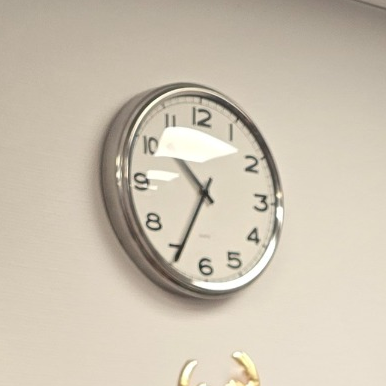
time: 10:34
